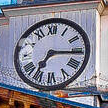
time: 7:15
